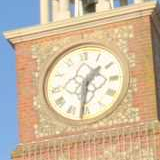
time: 1:31
